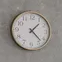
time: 1:22
